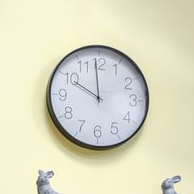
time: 9:59
